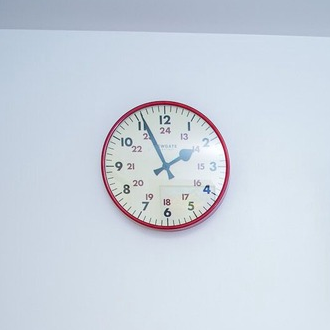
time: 1:55
